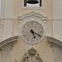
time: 5:18
